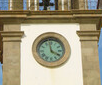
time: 3:58
